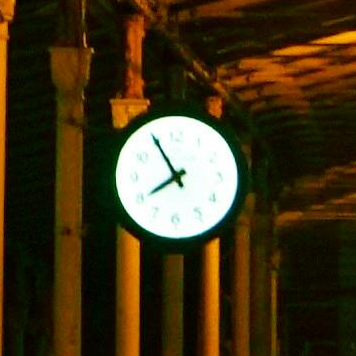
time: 7:55
